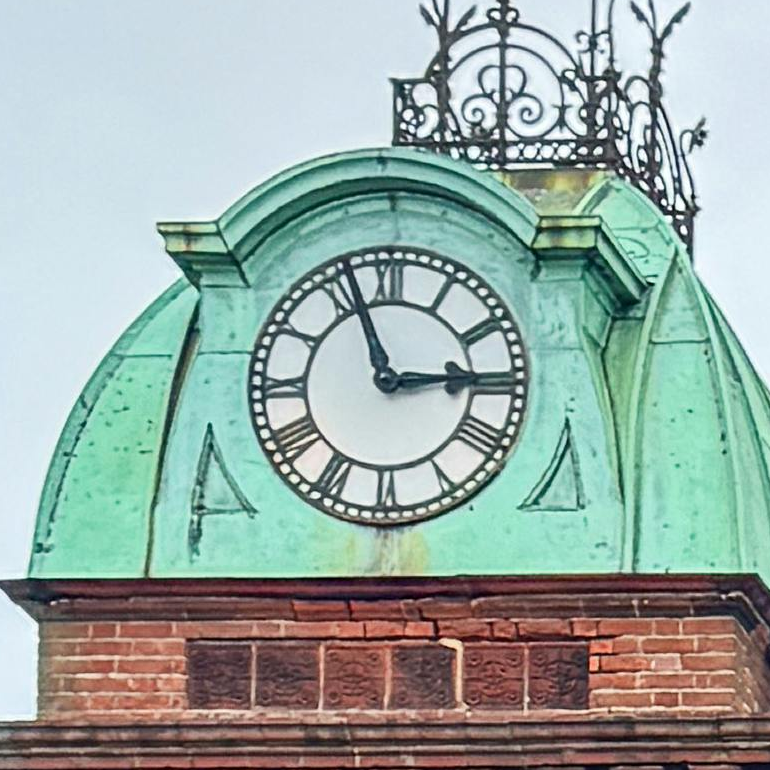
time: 2:56
